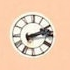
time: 2:13
